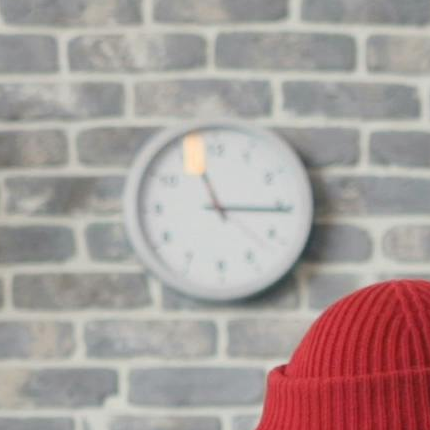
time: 11:15
